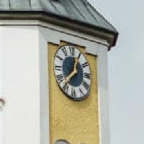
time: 12:37
